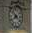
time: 7:52
